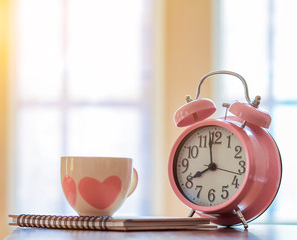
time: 7:58
